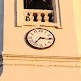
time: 7:15
